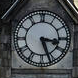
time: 3:26
